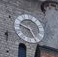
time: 9:25
